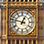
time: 12:47
